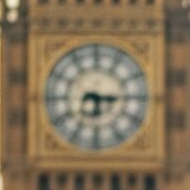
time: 6:15
